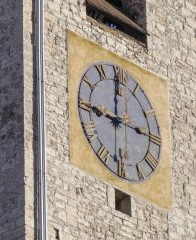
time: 9:00
